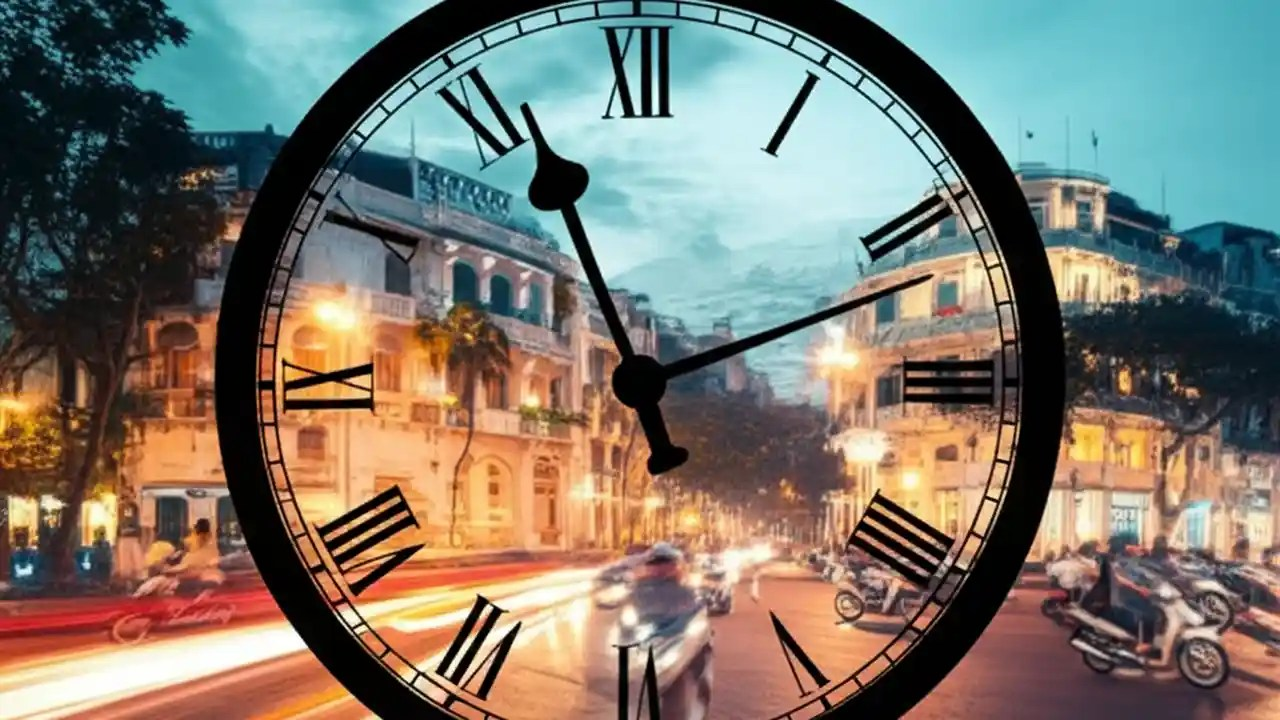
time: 11:11
